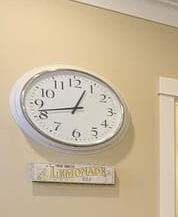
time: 12:42
